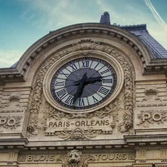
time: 2:32
